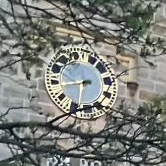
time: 8:31
